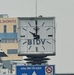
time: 10:00
